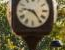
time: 9:23
